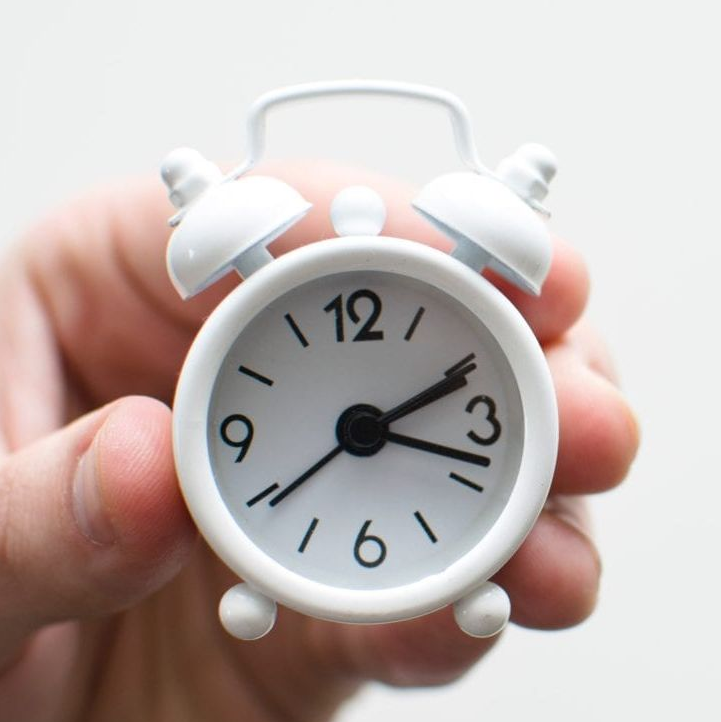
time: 2:18
